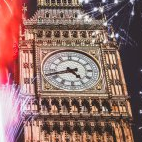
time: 4:42
